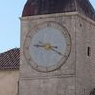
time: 9:20
